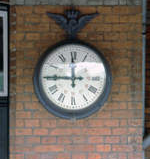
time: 11:45
